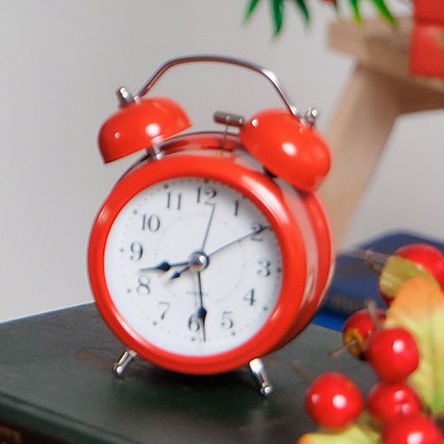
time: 8:28
